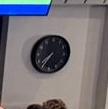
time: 7:34
